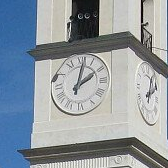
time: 2:01
